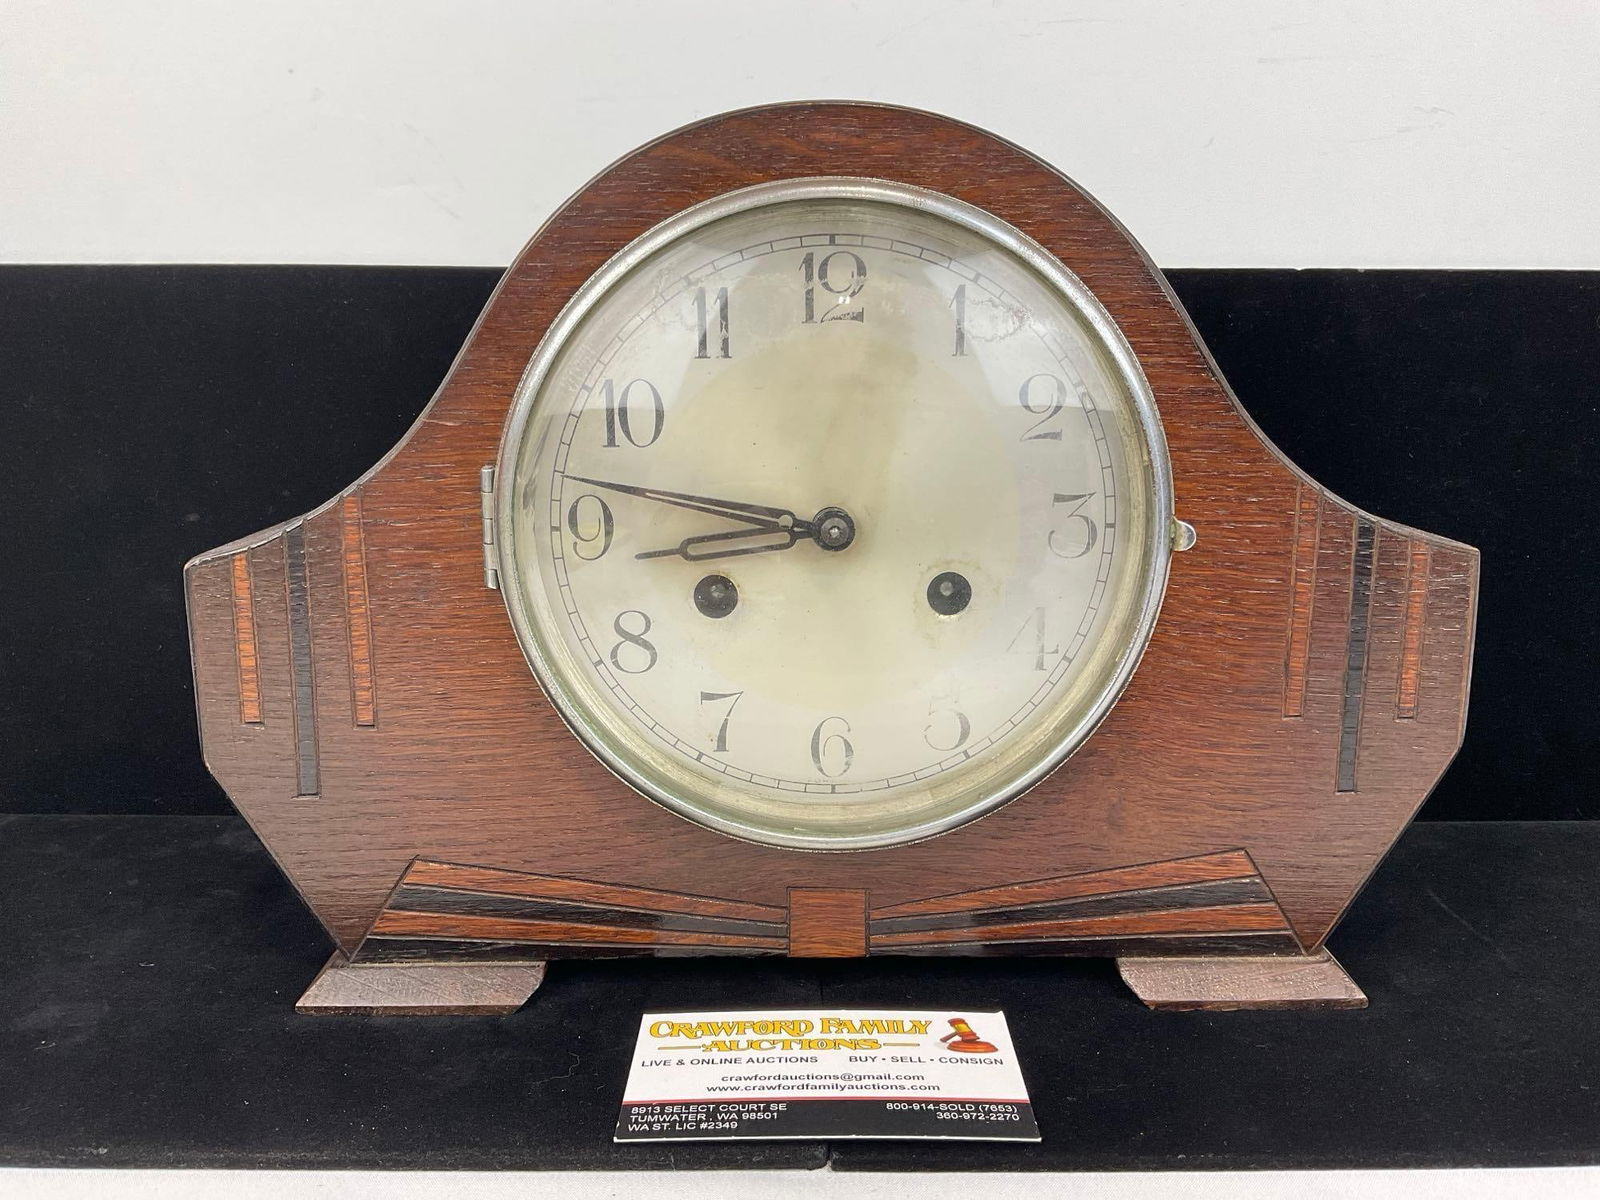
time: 8:46
